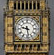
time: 9:28
